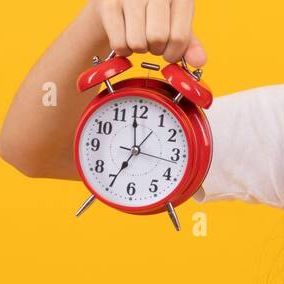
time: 6:58
